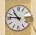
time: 10:46
